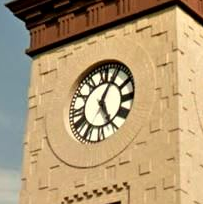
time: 5:04
